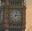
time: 3:02
